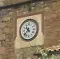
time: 10:37
